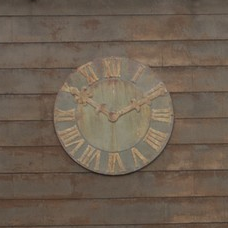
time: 10:10
